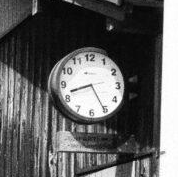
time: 8:25
